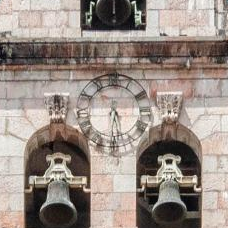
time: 5:30
